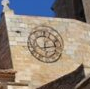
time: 12:13
